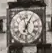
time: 7:04
